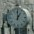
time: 1:00
